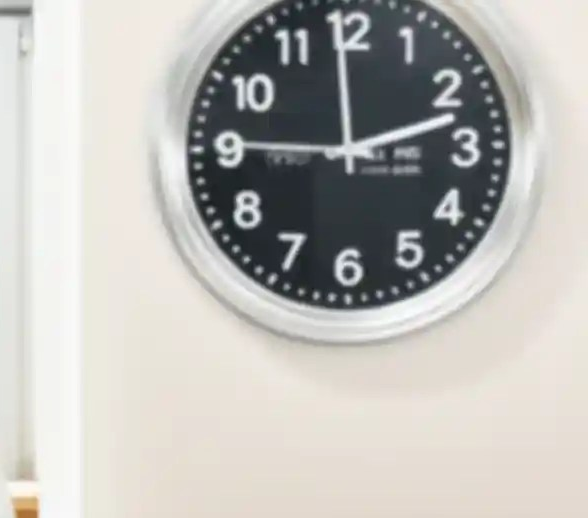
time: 9:12
